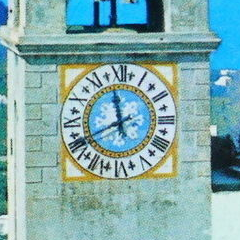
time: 11:40
